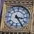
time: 3:24
